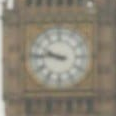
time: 9:45
